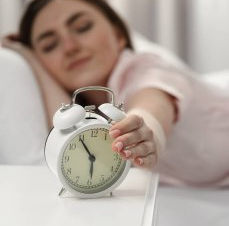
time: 5:54
